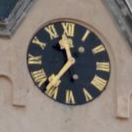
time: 11:36
